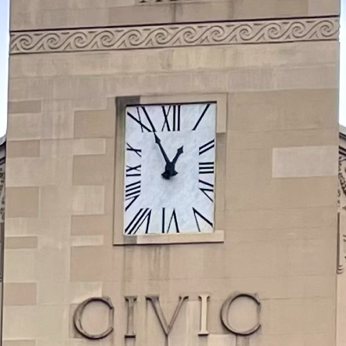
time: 12:55
